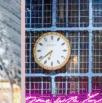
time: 6:38
